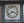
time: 3:39
